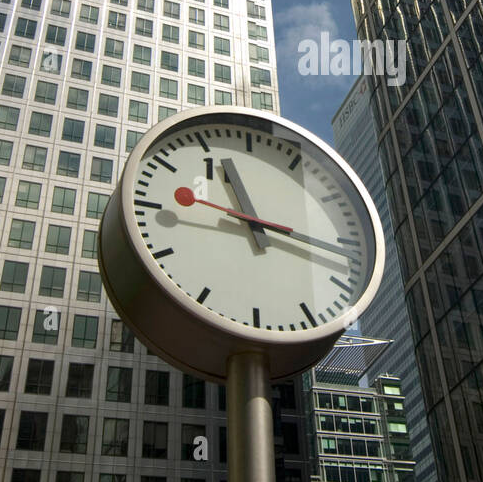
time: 11:16
